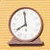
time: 7:59
